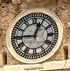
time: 12:45
